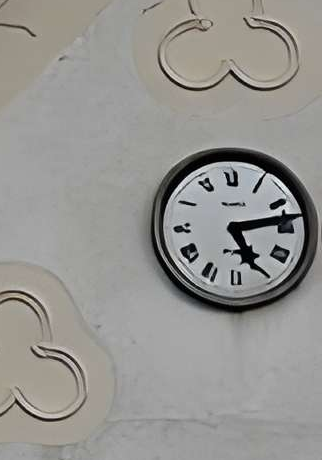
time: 5:13
